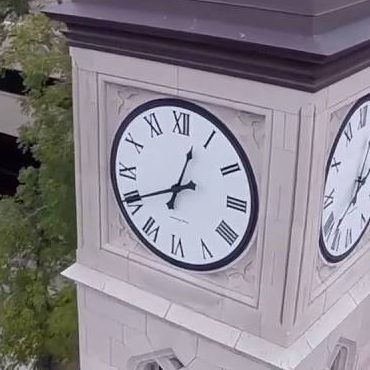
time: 12:40
